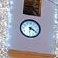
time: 6:19
